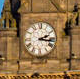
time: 2:16
